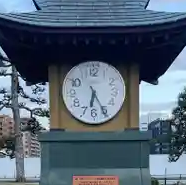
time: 6:25
